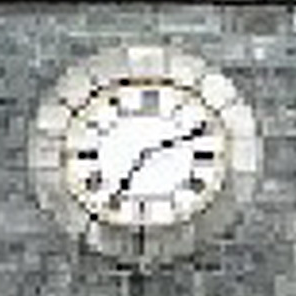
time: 2:34
